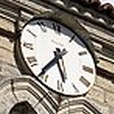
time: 5:36
